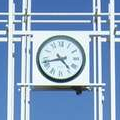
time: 4:42
